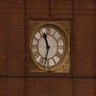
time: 11:32
